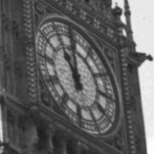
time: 11:00
